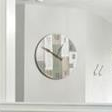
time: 12:50
